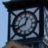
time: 12:41
